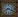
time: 8:18
